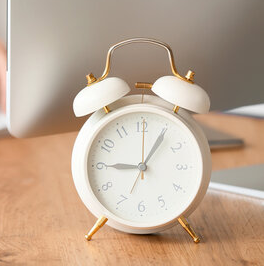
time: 9:05
